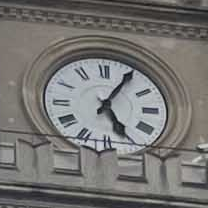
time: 5:05
